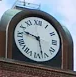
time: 9:27
